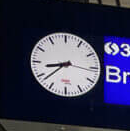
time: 8:38
